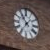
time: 10:36
